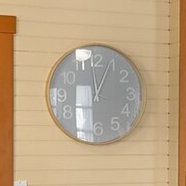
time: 12:59
